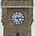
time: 2:25
